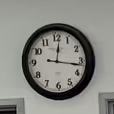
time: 12:16
